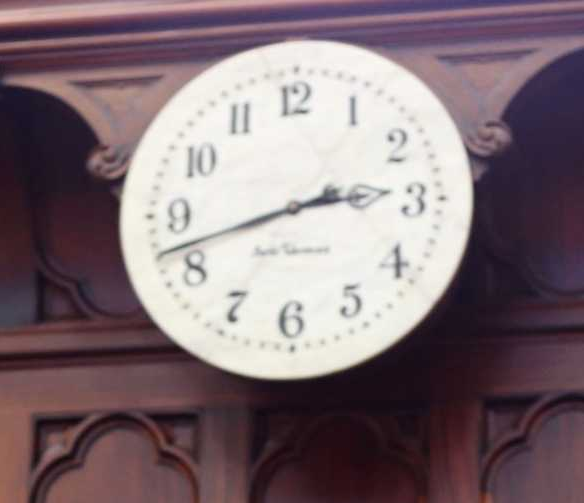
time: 2:42
